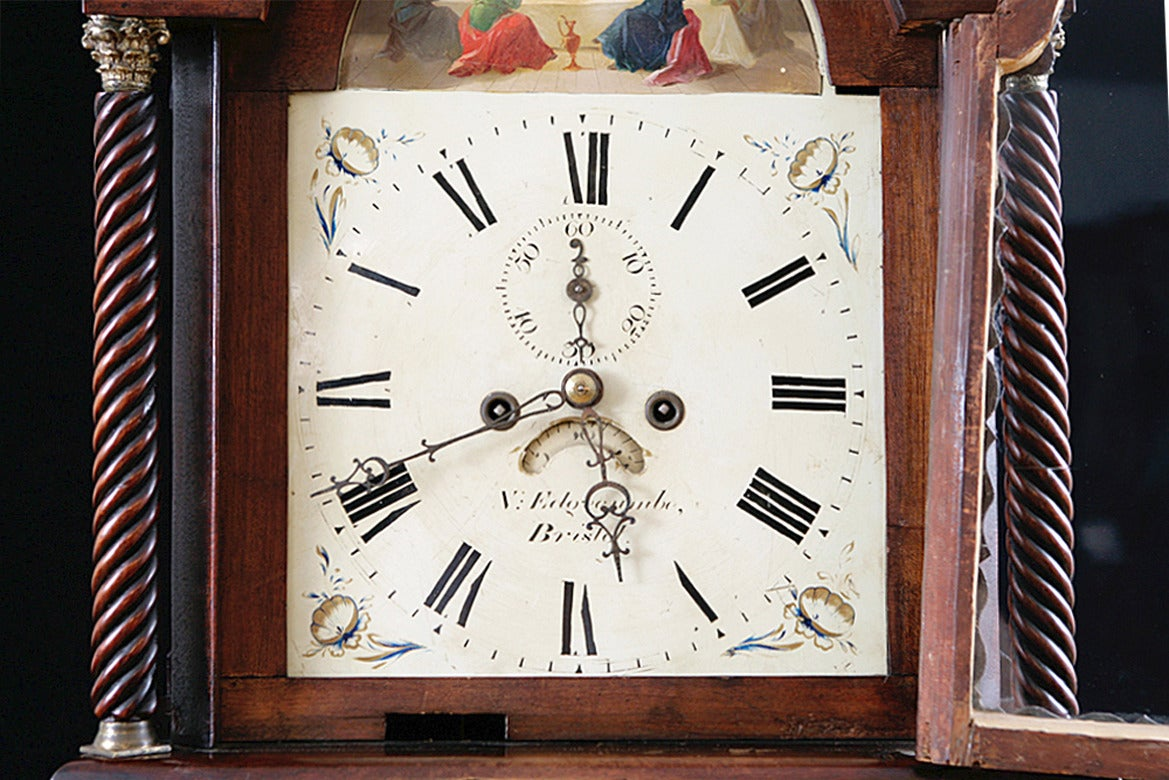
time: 7:59
